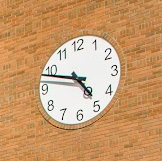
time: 4:48
